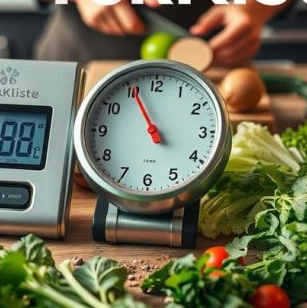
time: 10:55
